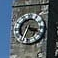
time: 3:34
